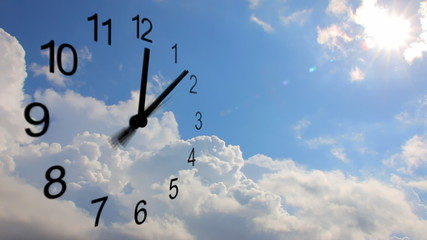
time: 12:07
